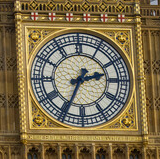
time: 2:34
